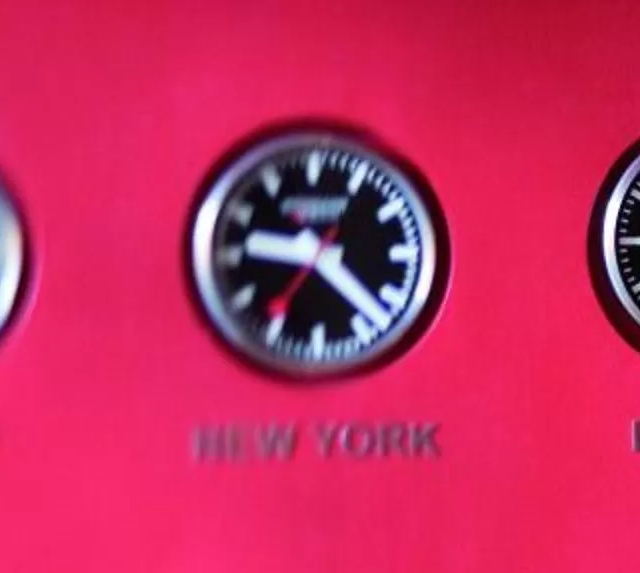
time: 9:22
